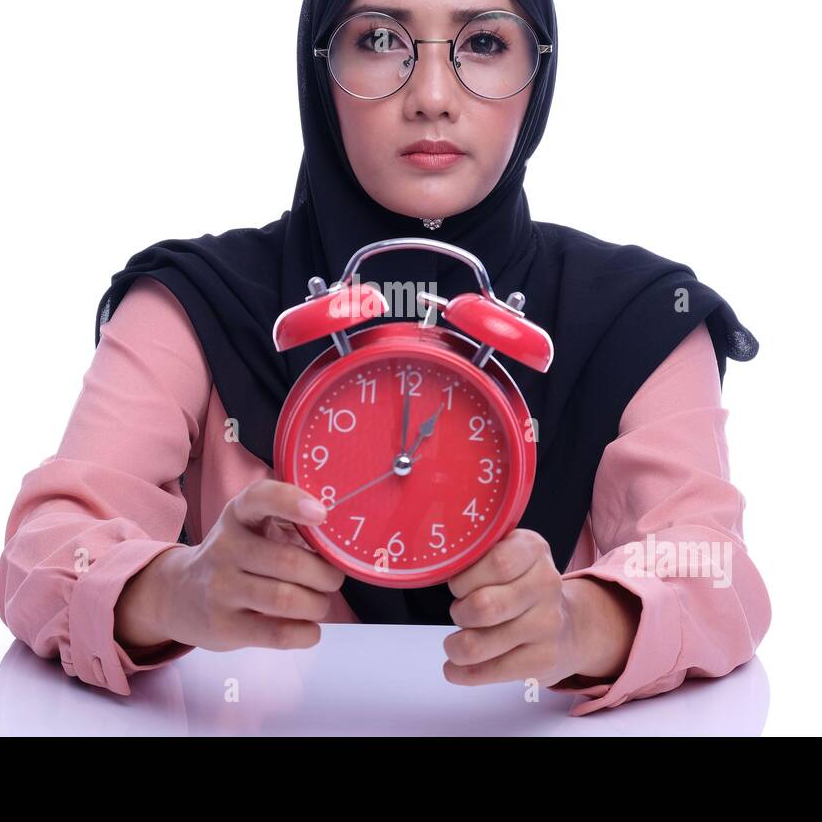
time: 1:00
